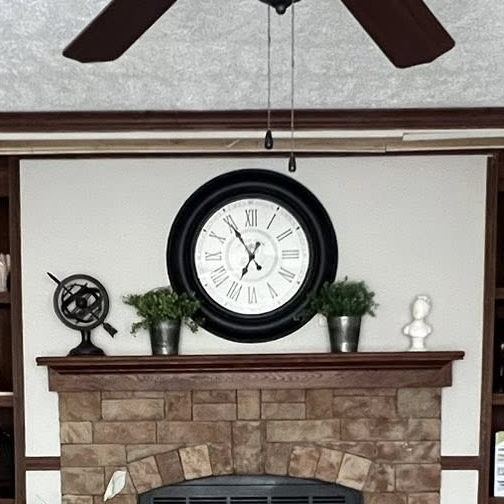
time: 6:54
